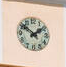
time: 1:51
